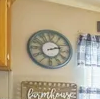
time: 2:12
